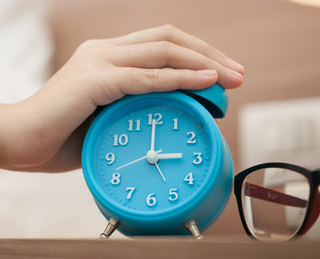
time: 3:00
